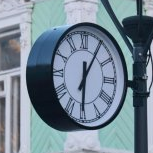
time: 6:05
